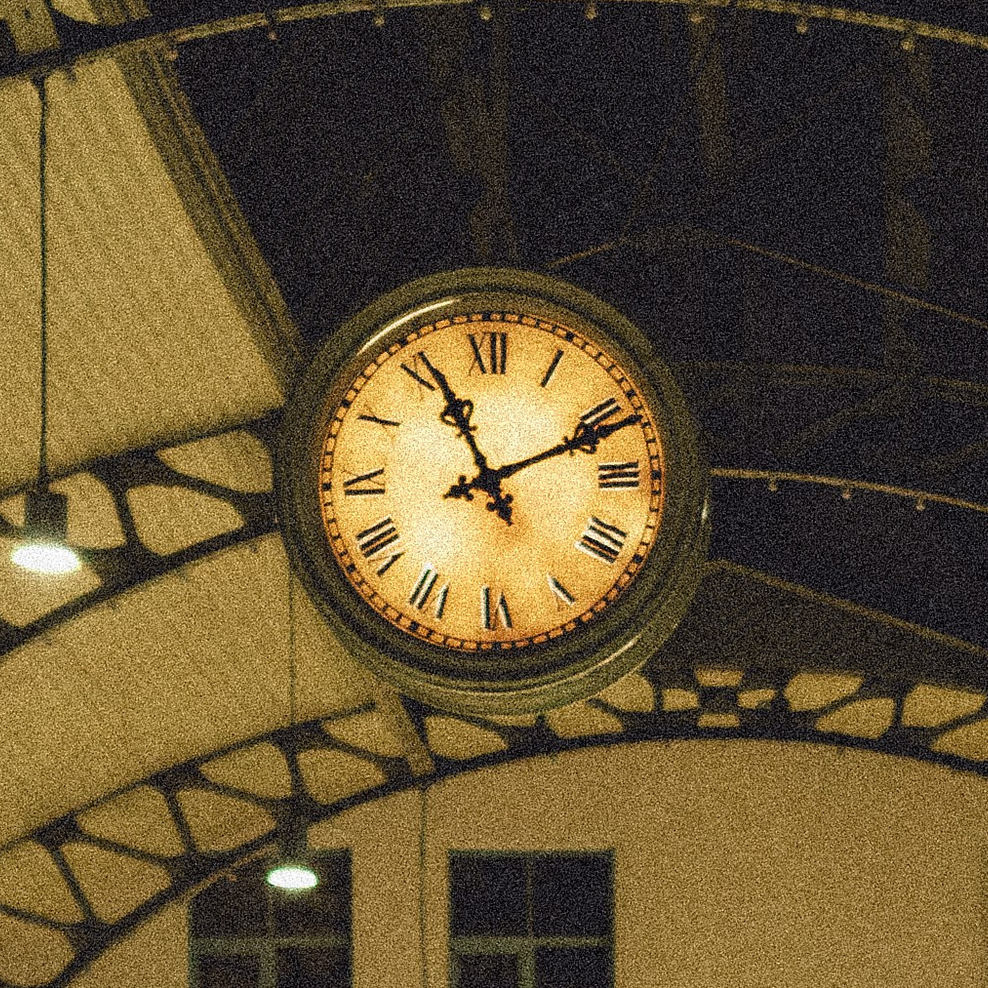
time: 11:11
